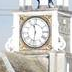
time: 11:32
